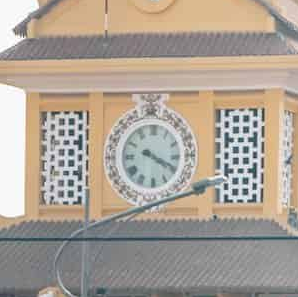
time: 4:19
